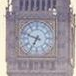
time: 6:48
